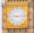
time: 9:14
